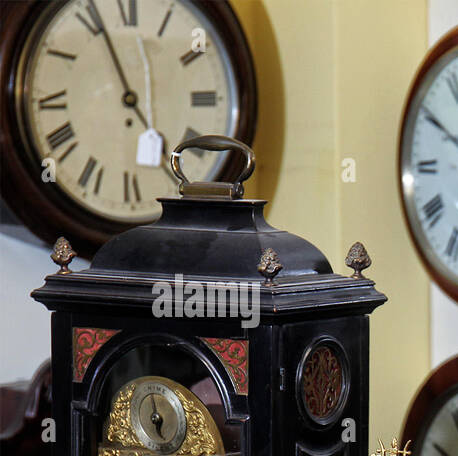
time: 4:56
